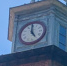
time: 4:59
